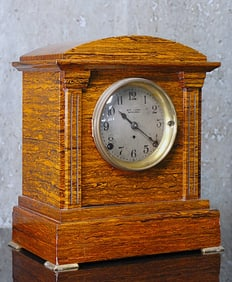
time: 10:21
